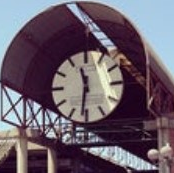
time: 11:31
